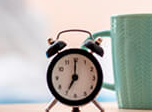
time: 7:00
